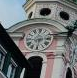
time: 6:13
